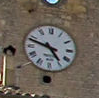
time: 4:48
